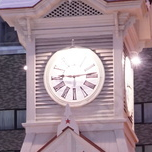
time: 9:13
